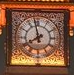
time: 7:58
